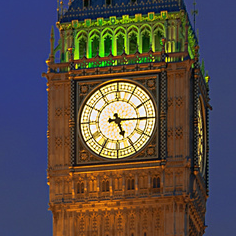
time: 5:14
